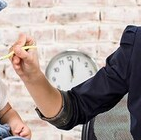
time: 12:02
